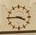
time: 3:45
